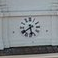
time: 5:38
